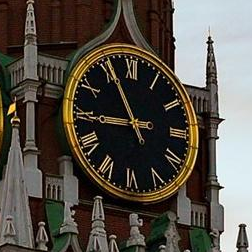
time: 8:56
